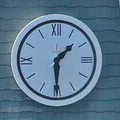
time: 1:30
